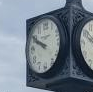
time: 9:50
